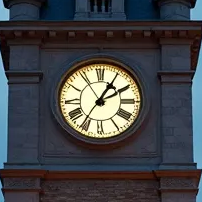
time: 2:05
